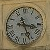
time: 3:26
